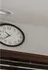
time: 10:38
